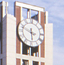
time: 5:48
